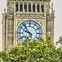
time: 9:53
